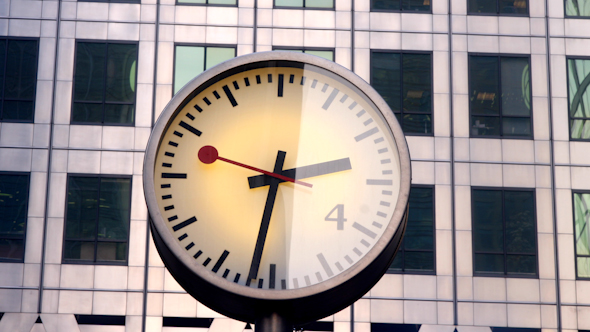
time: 2:31
